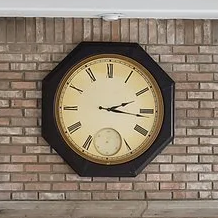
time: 2:16
